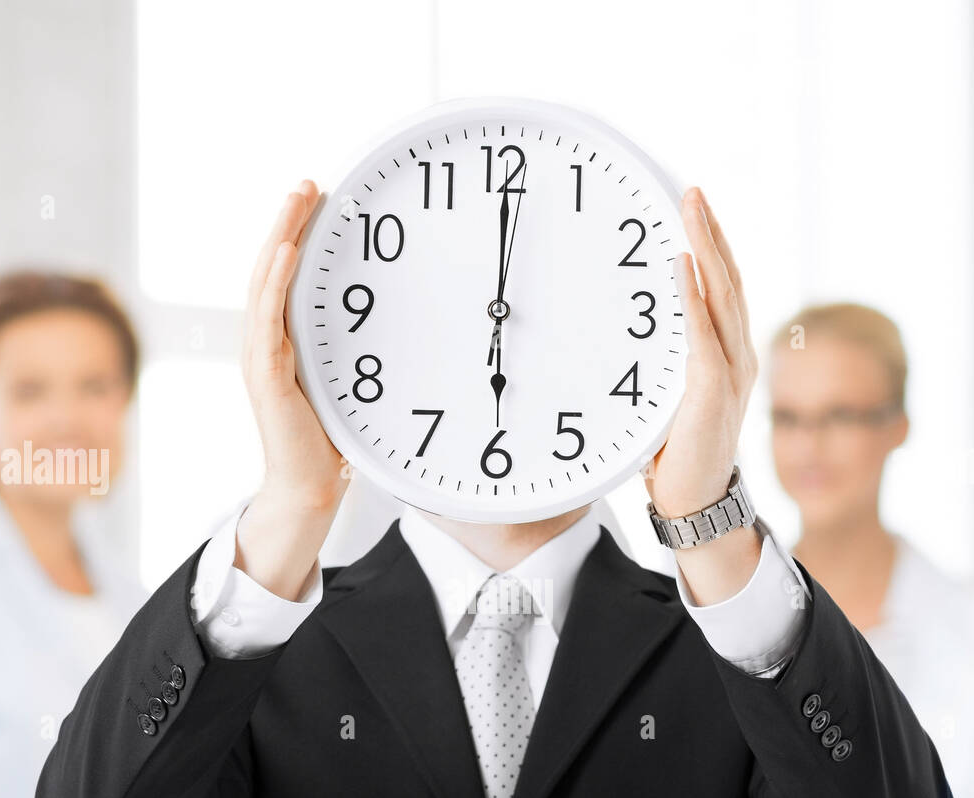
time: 6:00
